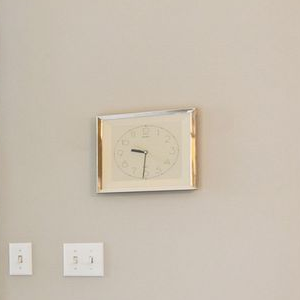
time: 9:31
